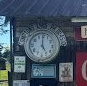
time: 5:00
